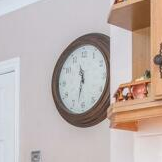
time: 11:32
